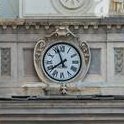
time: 7:57
